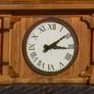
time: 3:09
